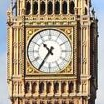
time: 10:35
